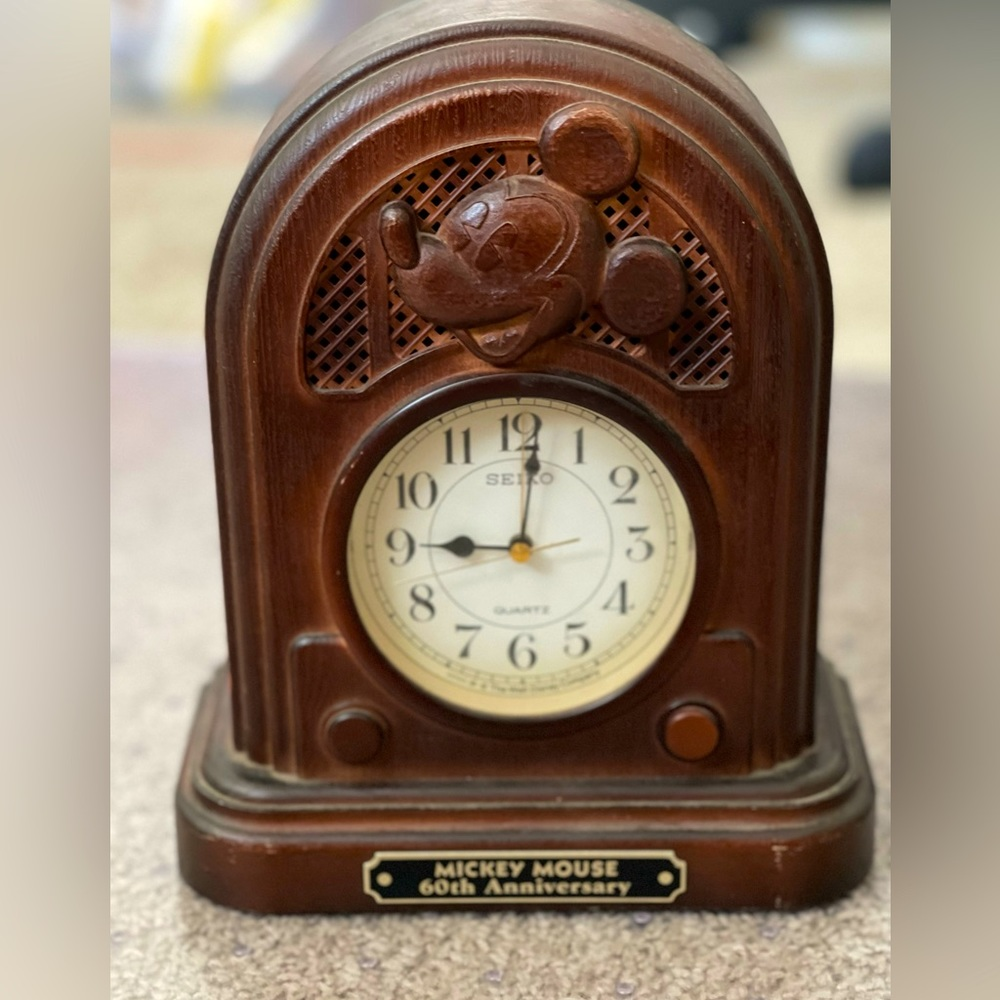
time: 9:01
